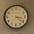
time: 3:21
